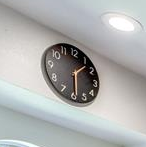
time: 1:29
